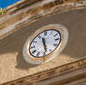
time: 11:28
